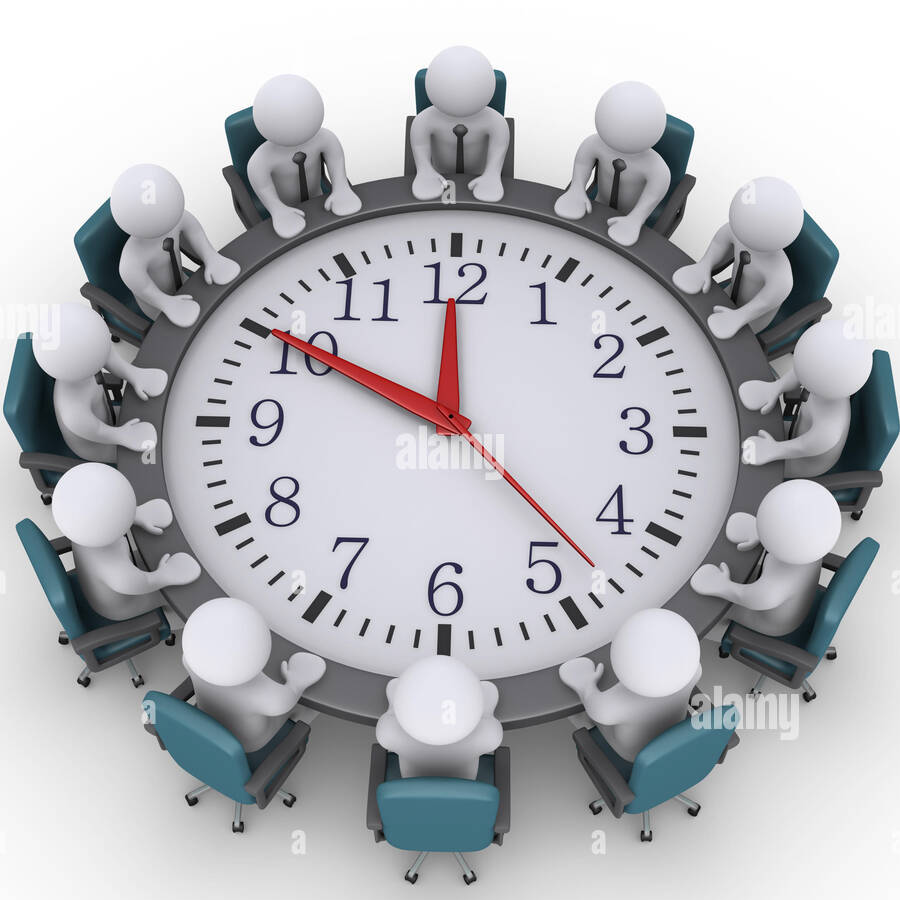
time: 11:50
